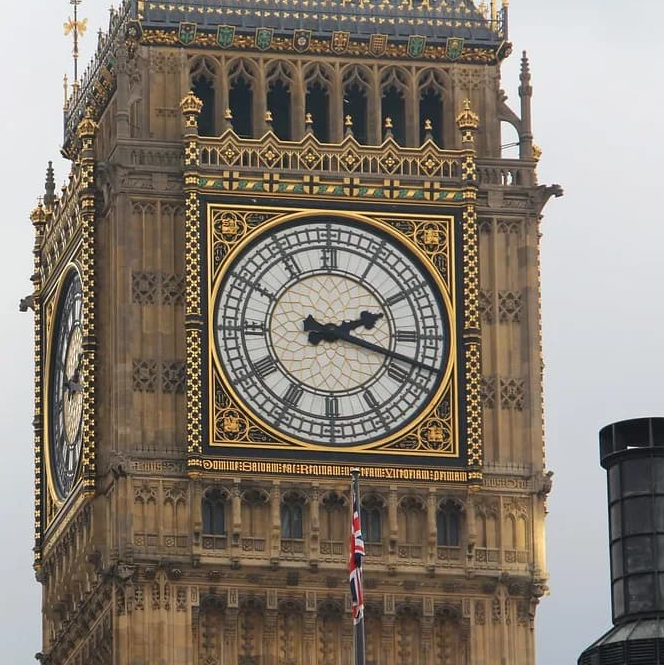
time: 2:18
